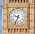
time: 9:34
